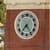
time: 7:24
